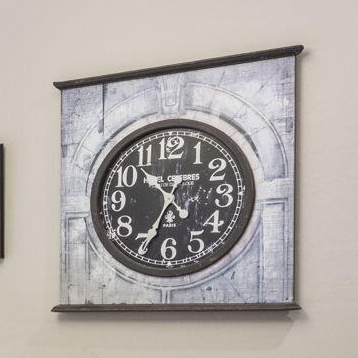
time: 10:34
